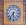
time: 5:36
